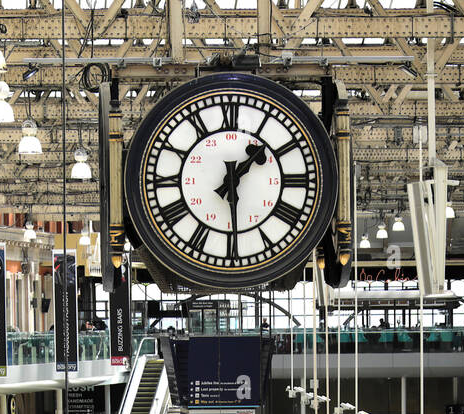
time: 1:29
